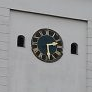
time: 2:29
